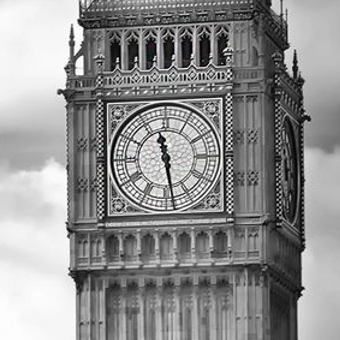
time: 11:28
